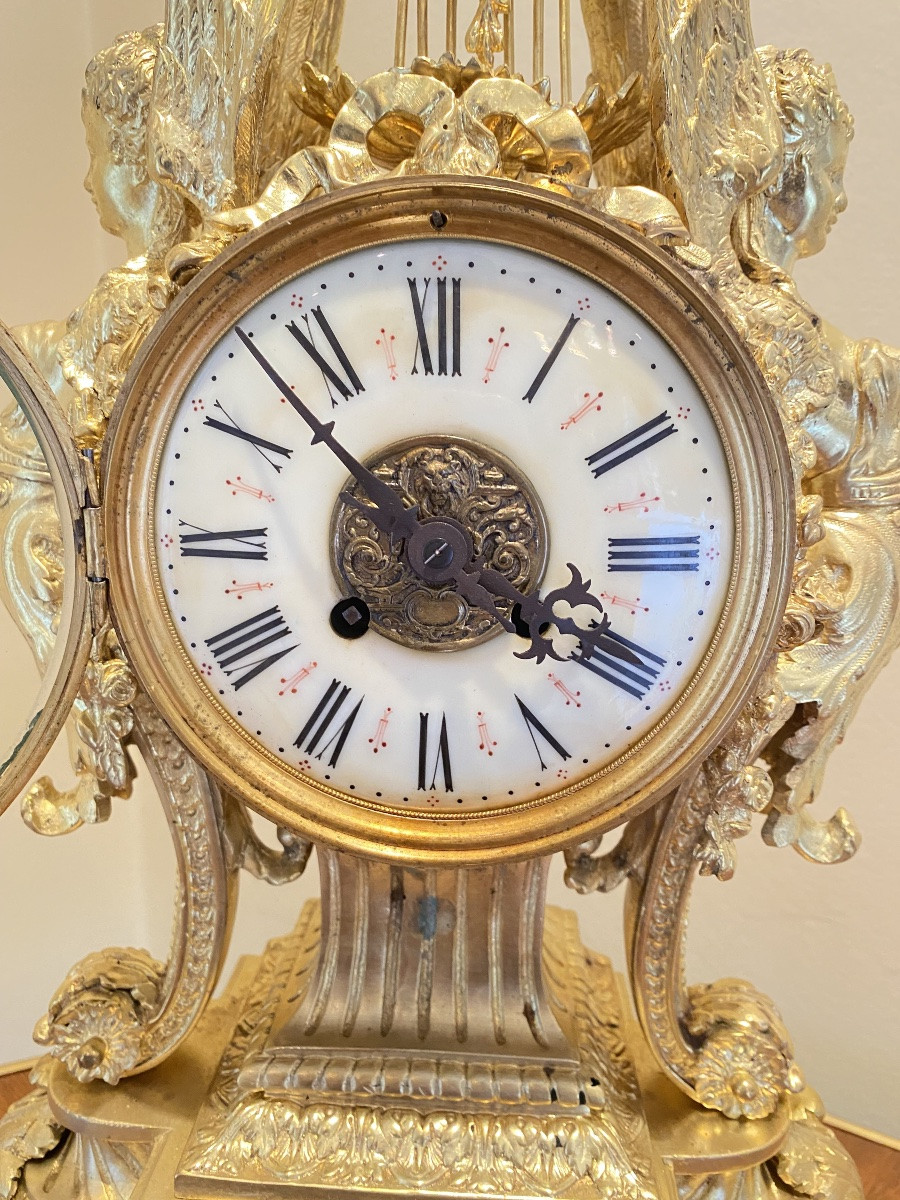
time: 3:52
